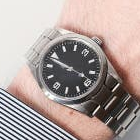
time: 3:48
